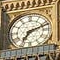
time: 7:11
